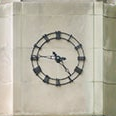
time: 4:46
